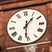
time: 1:31
